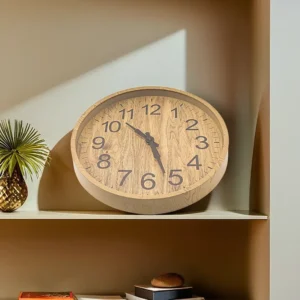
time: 10:26
